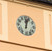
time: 12:03
